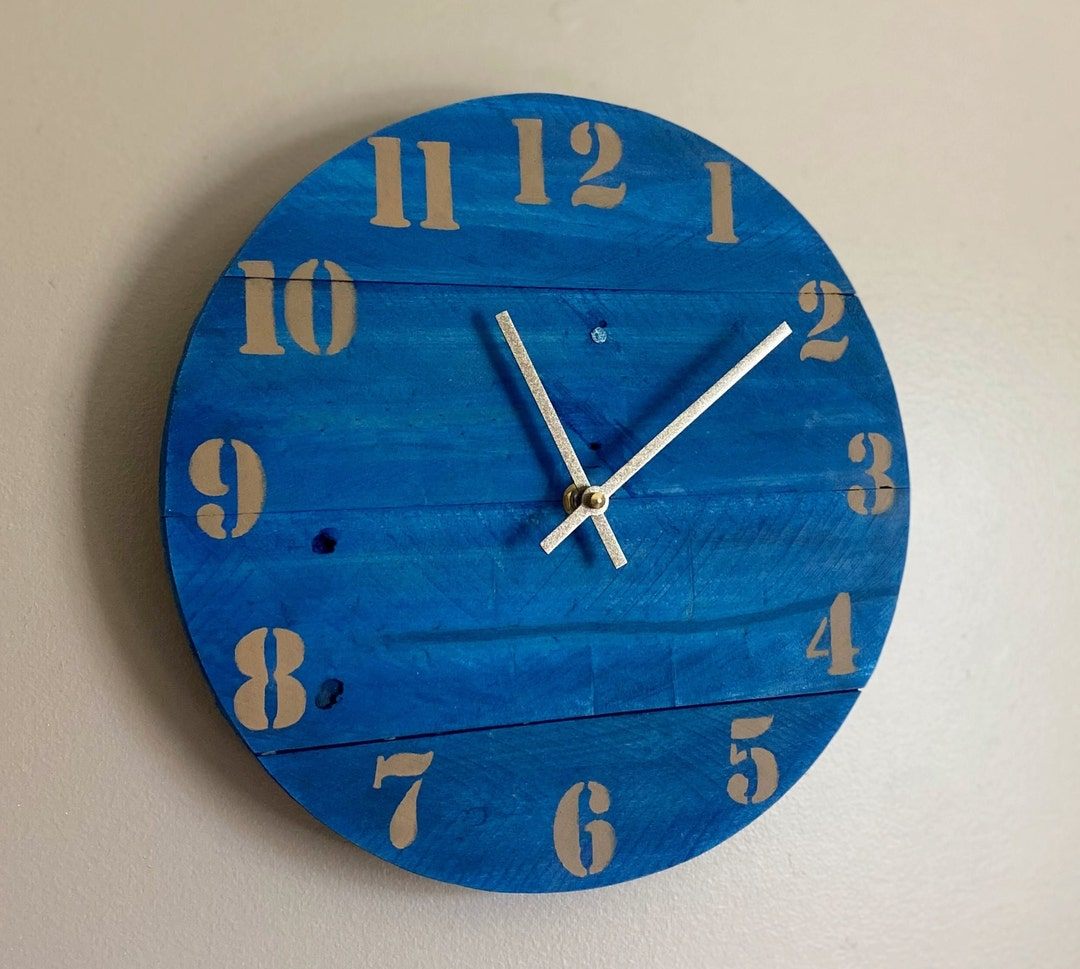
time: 11:09
